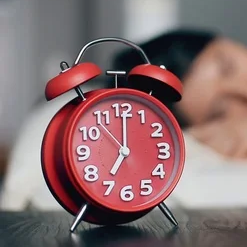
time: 7:00
